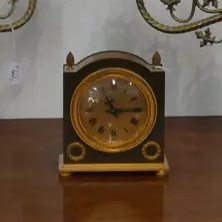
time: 11:14
